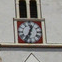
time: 12:34
